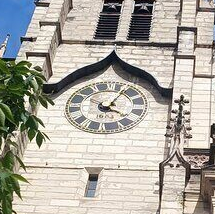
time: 4:04
